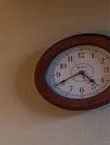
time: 4:40
